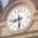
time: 8:29
